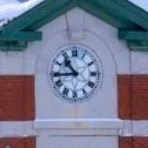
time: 10:43
